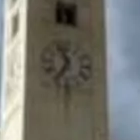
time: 11:35
